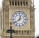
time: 12:38
